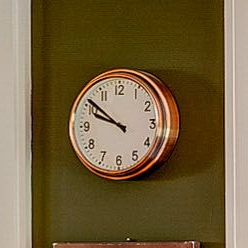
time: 9:51
